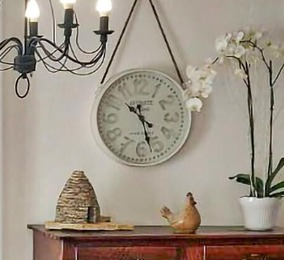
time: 10:27
